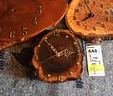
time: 10:41
